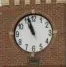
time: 10:56
